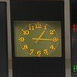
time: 1:15
